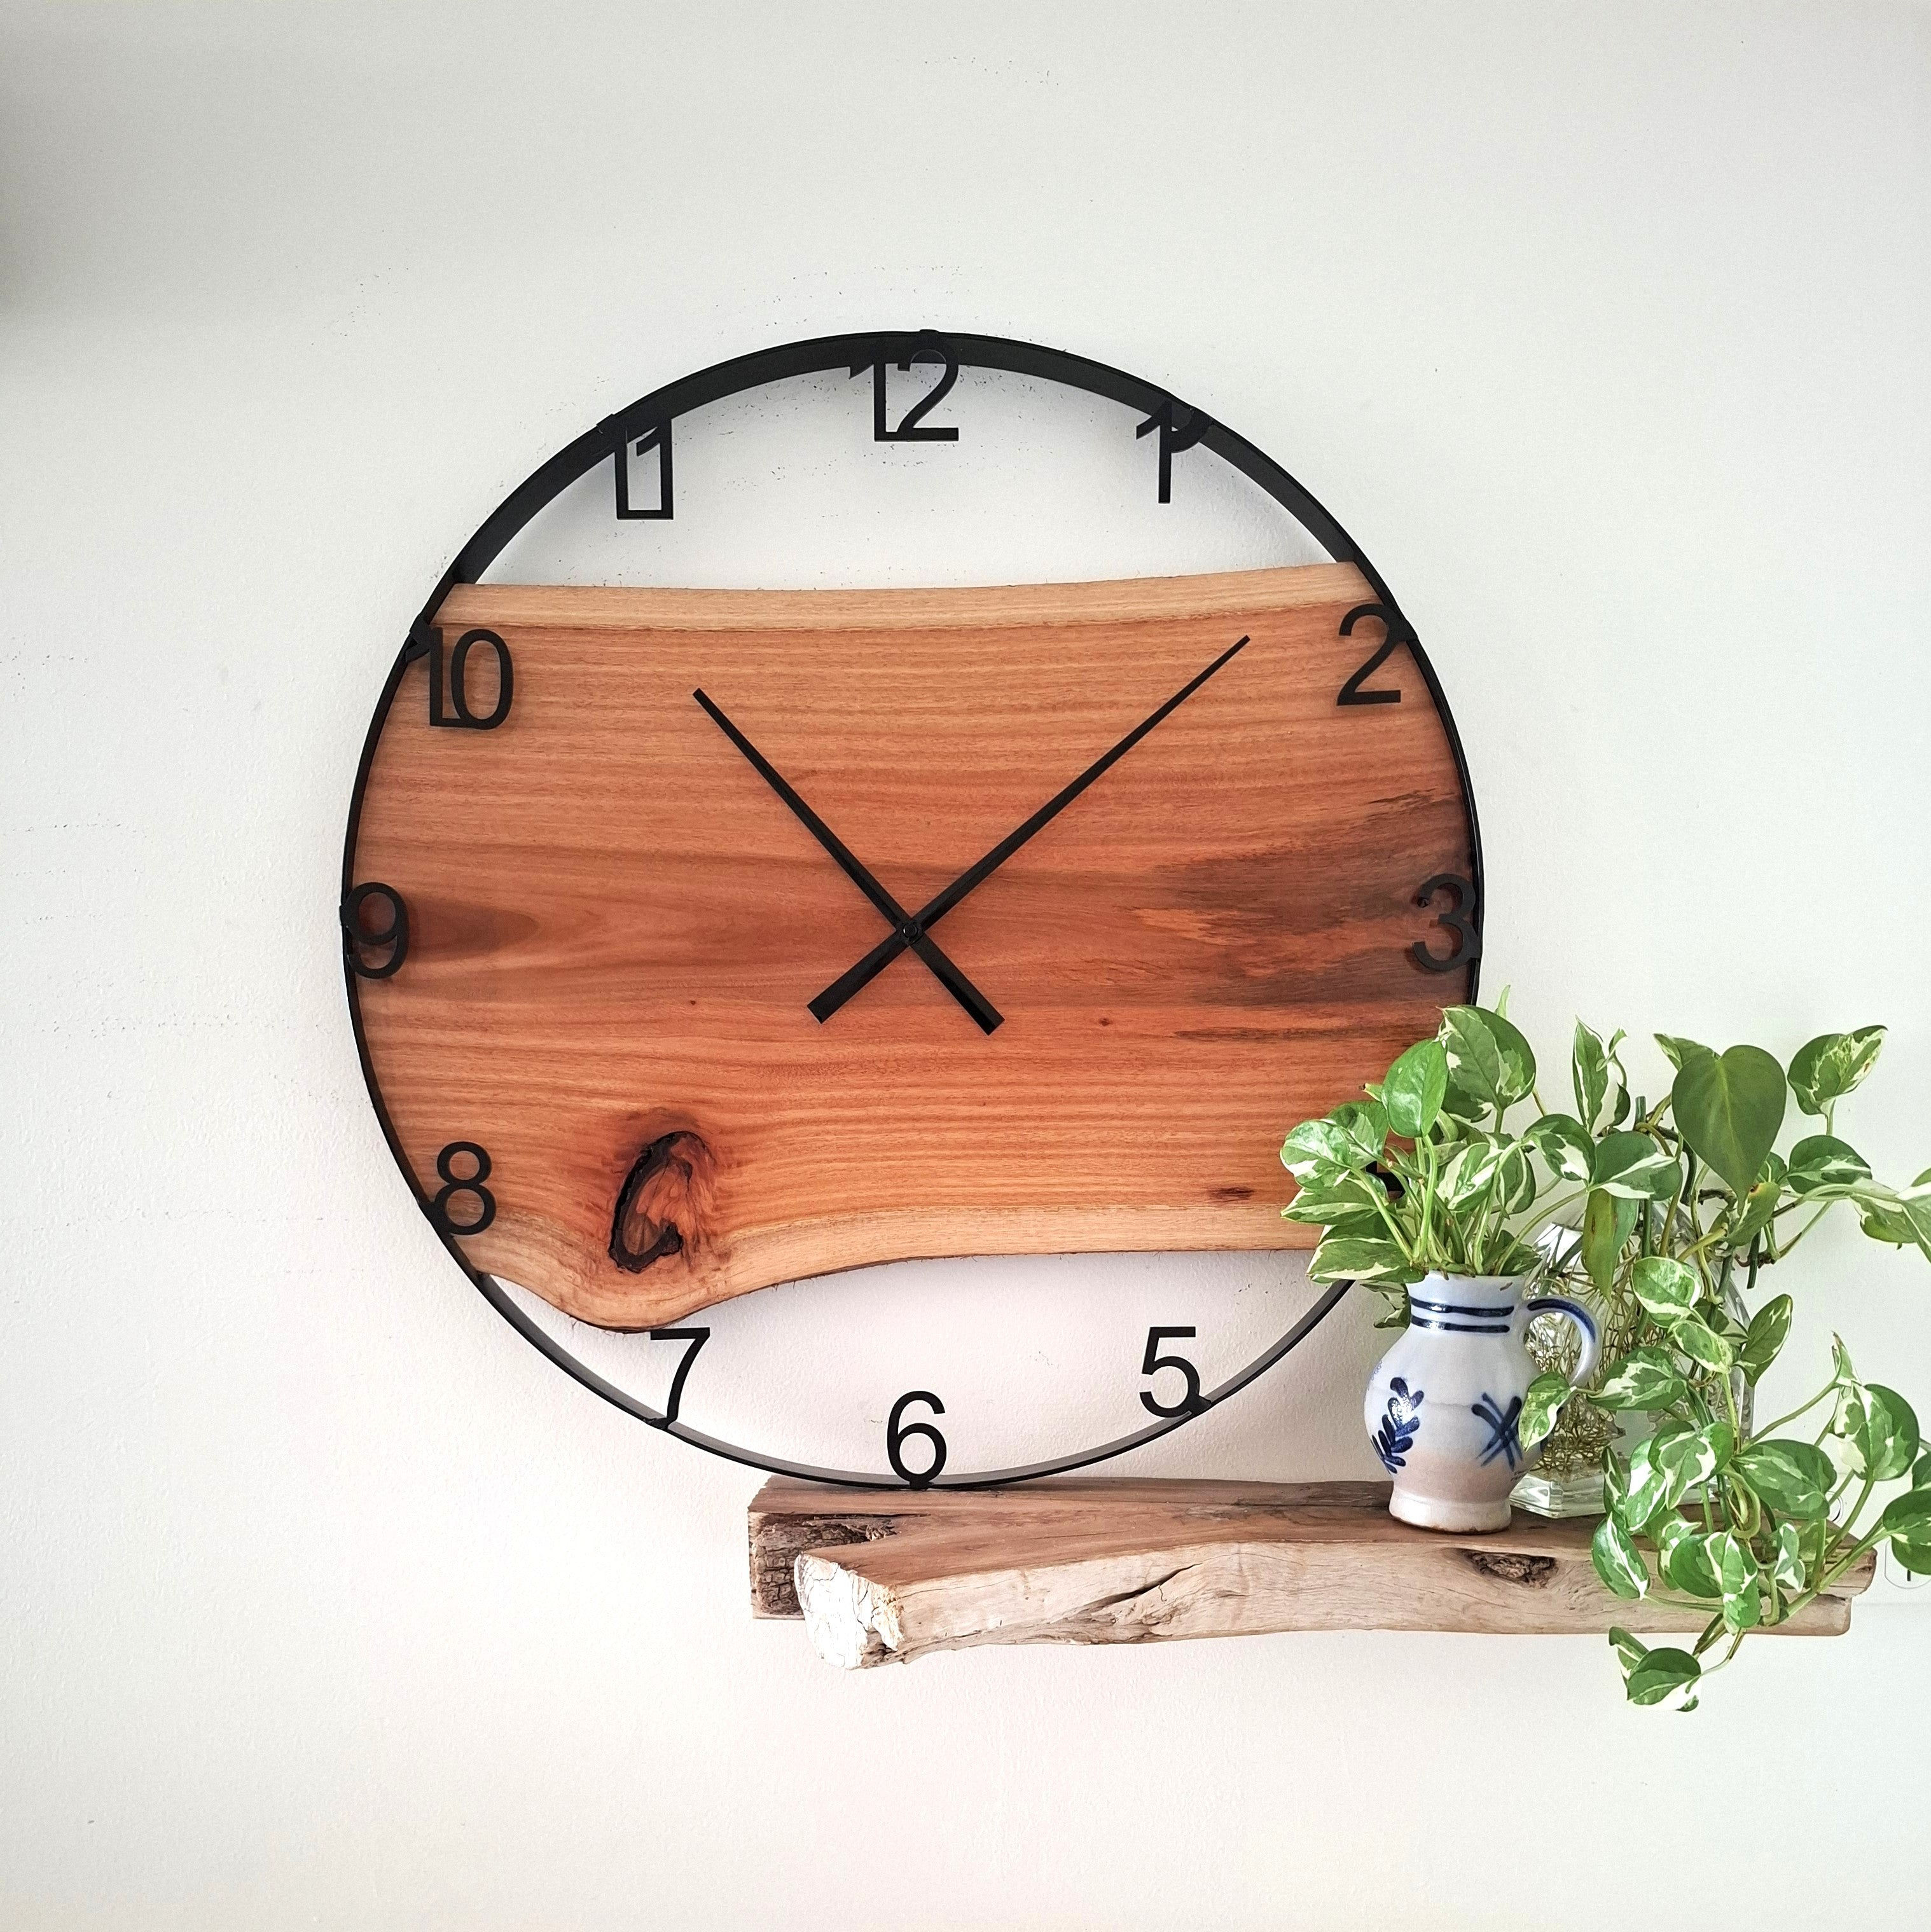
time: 11:08
